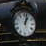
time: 1:02
